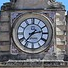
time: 2:36
